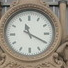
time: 11:19
